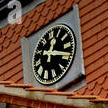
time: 12:18
